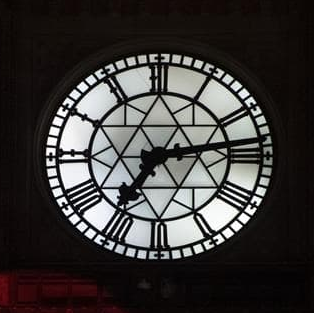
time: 7:13
